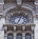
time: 7:04
